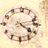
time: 4:12
